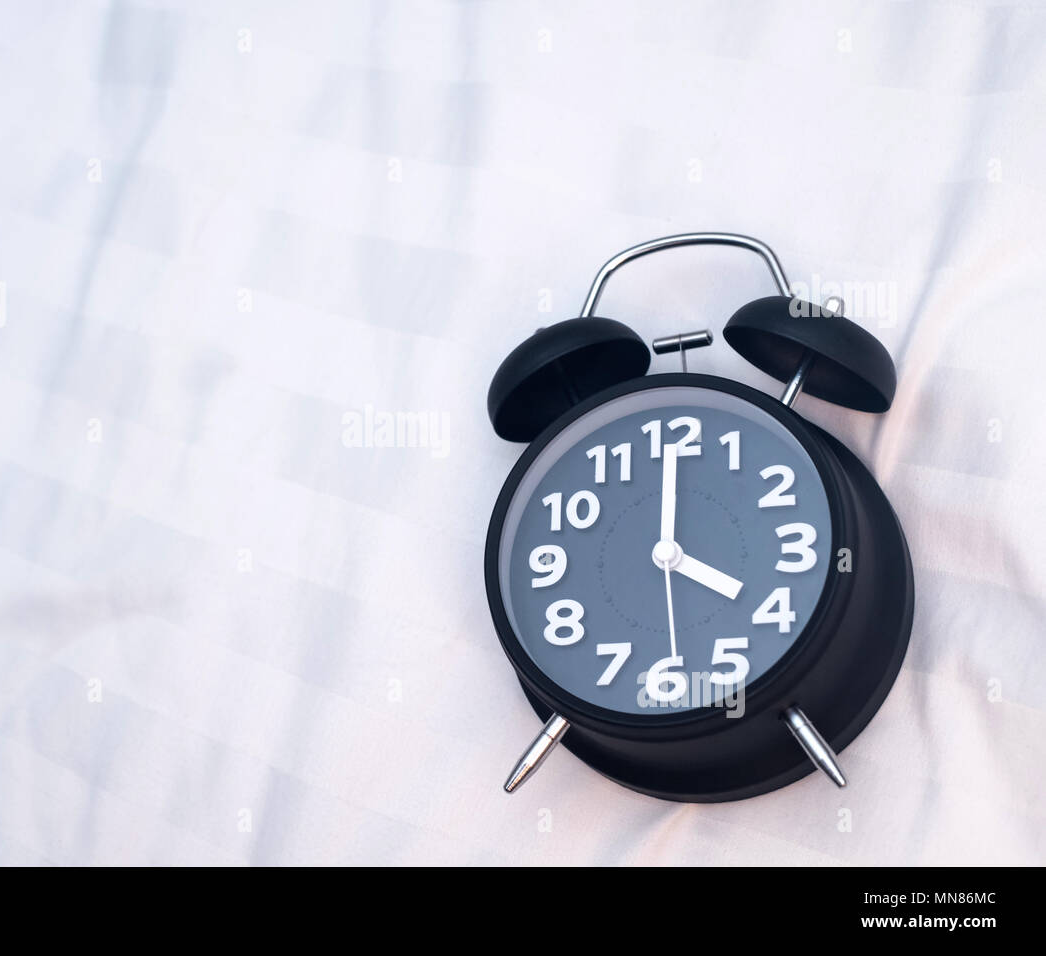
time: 4:00
